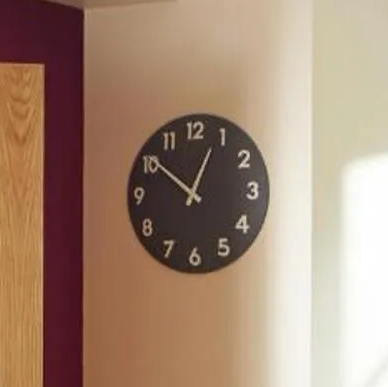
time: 12:50
